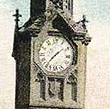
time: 1:36
